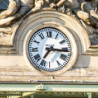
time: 7:16
